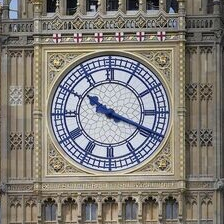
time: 10:18
